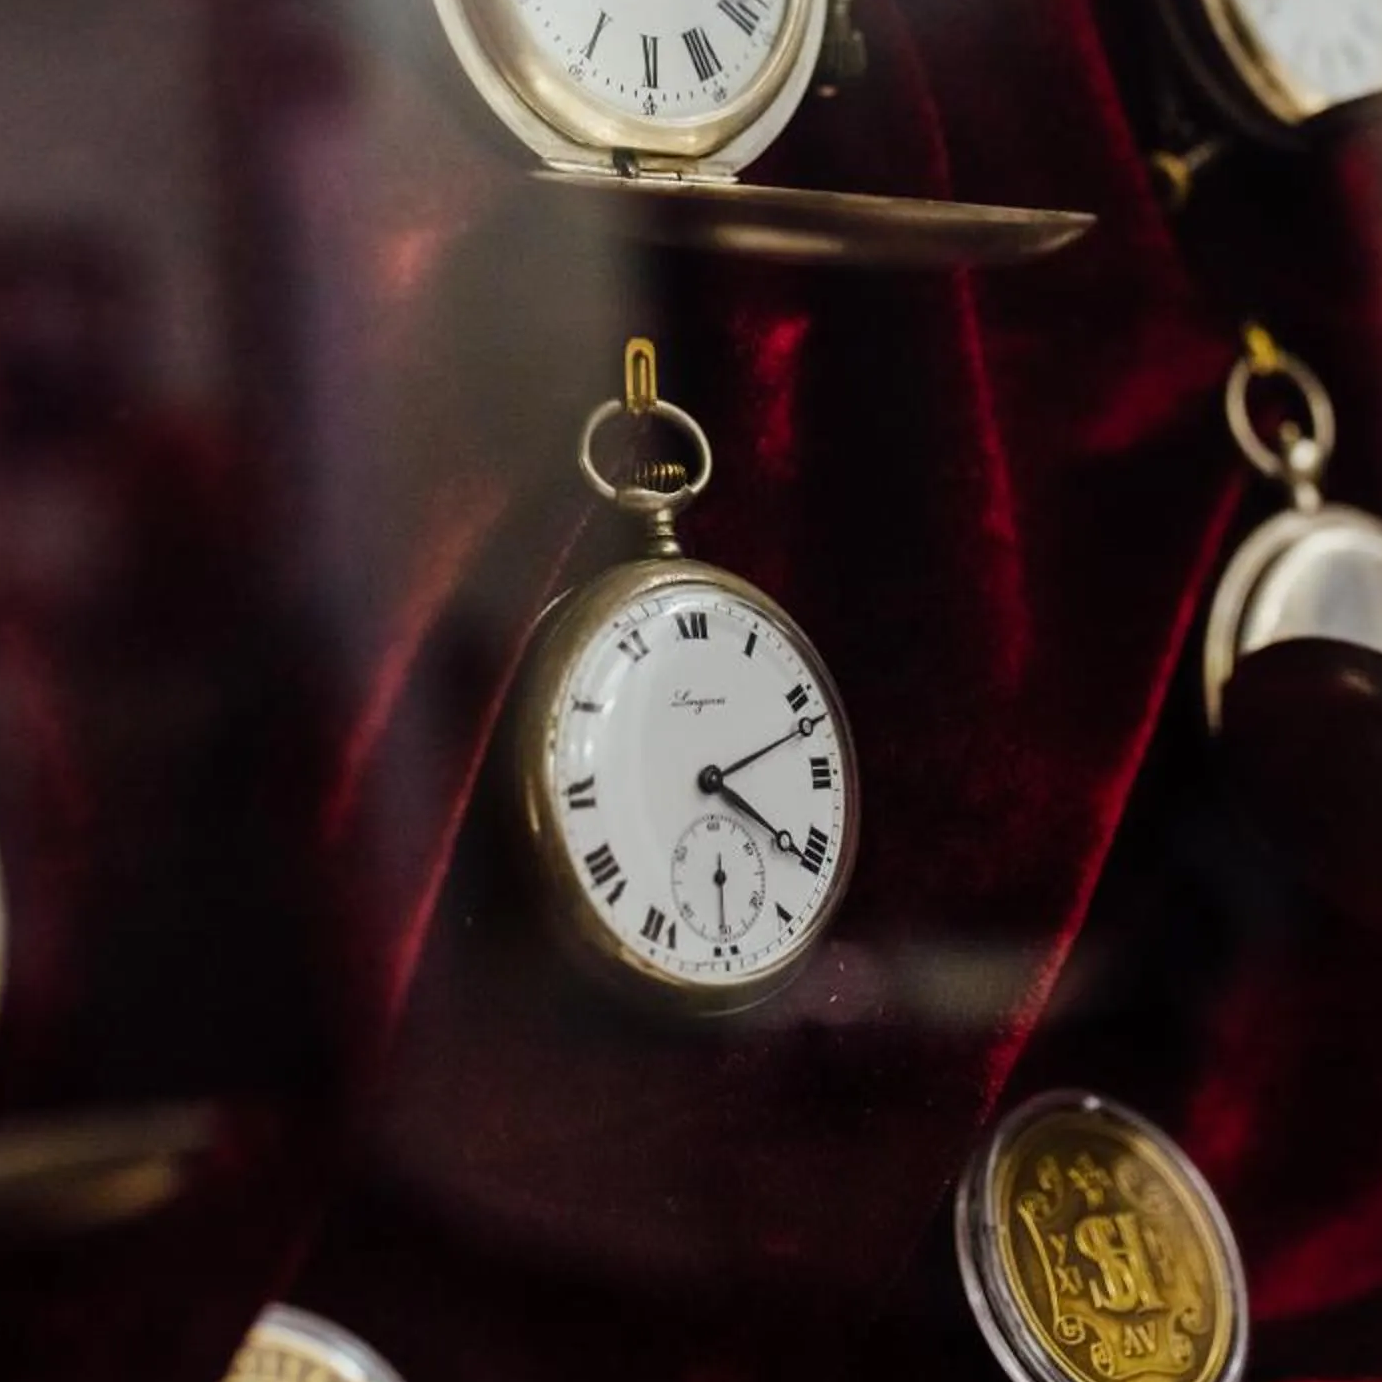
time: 4:11
